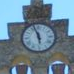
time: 5:57
